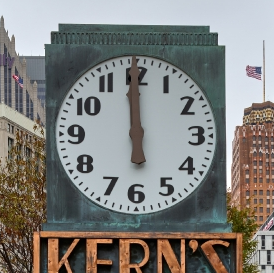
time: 11:59
